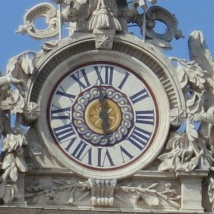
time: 11:58
